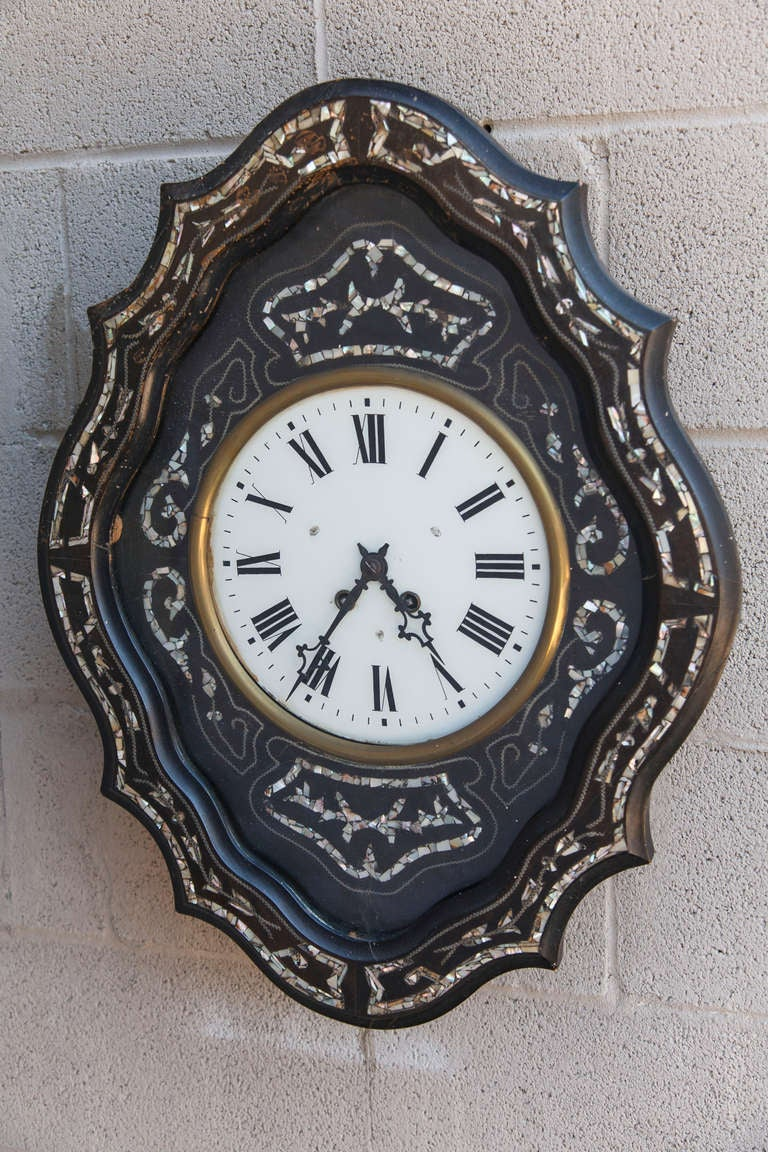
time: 4:35
